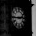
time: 2:44
